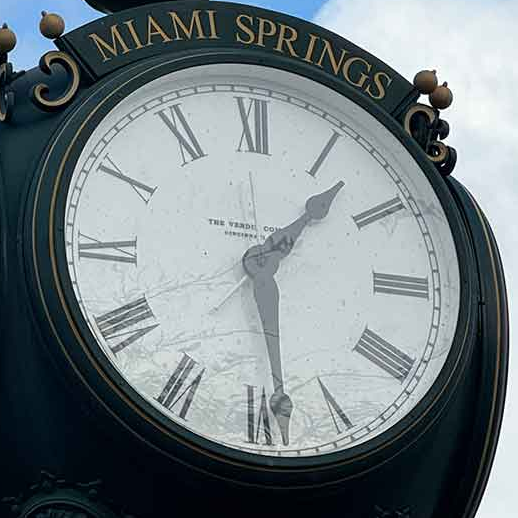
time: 1:28
